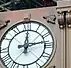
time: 12:13
